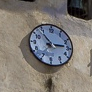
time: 2:53
